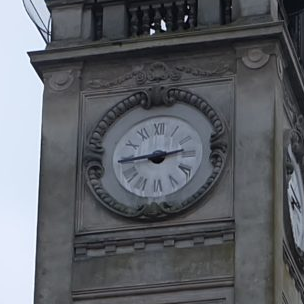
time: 2:44
